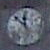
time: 11:52
